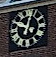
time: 10:02
